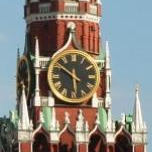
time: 5:50
